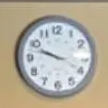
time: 9:47
